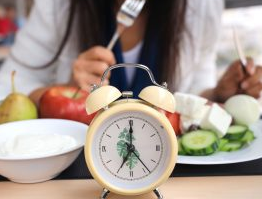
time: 7:00
